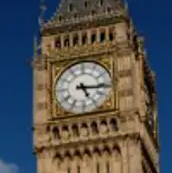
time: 5:15
